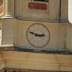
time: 2:48
